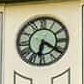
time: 6:20
